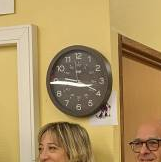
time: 3:45
